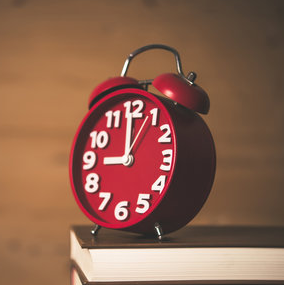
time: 8:59
